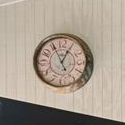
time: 12:55
